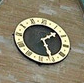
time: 1:26
